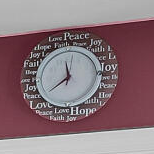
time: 11:37
